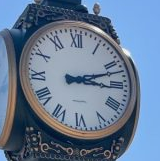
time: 3:12
